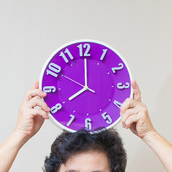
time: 8:00
